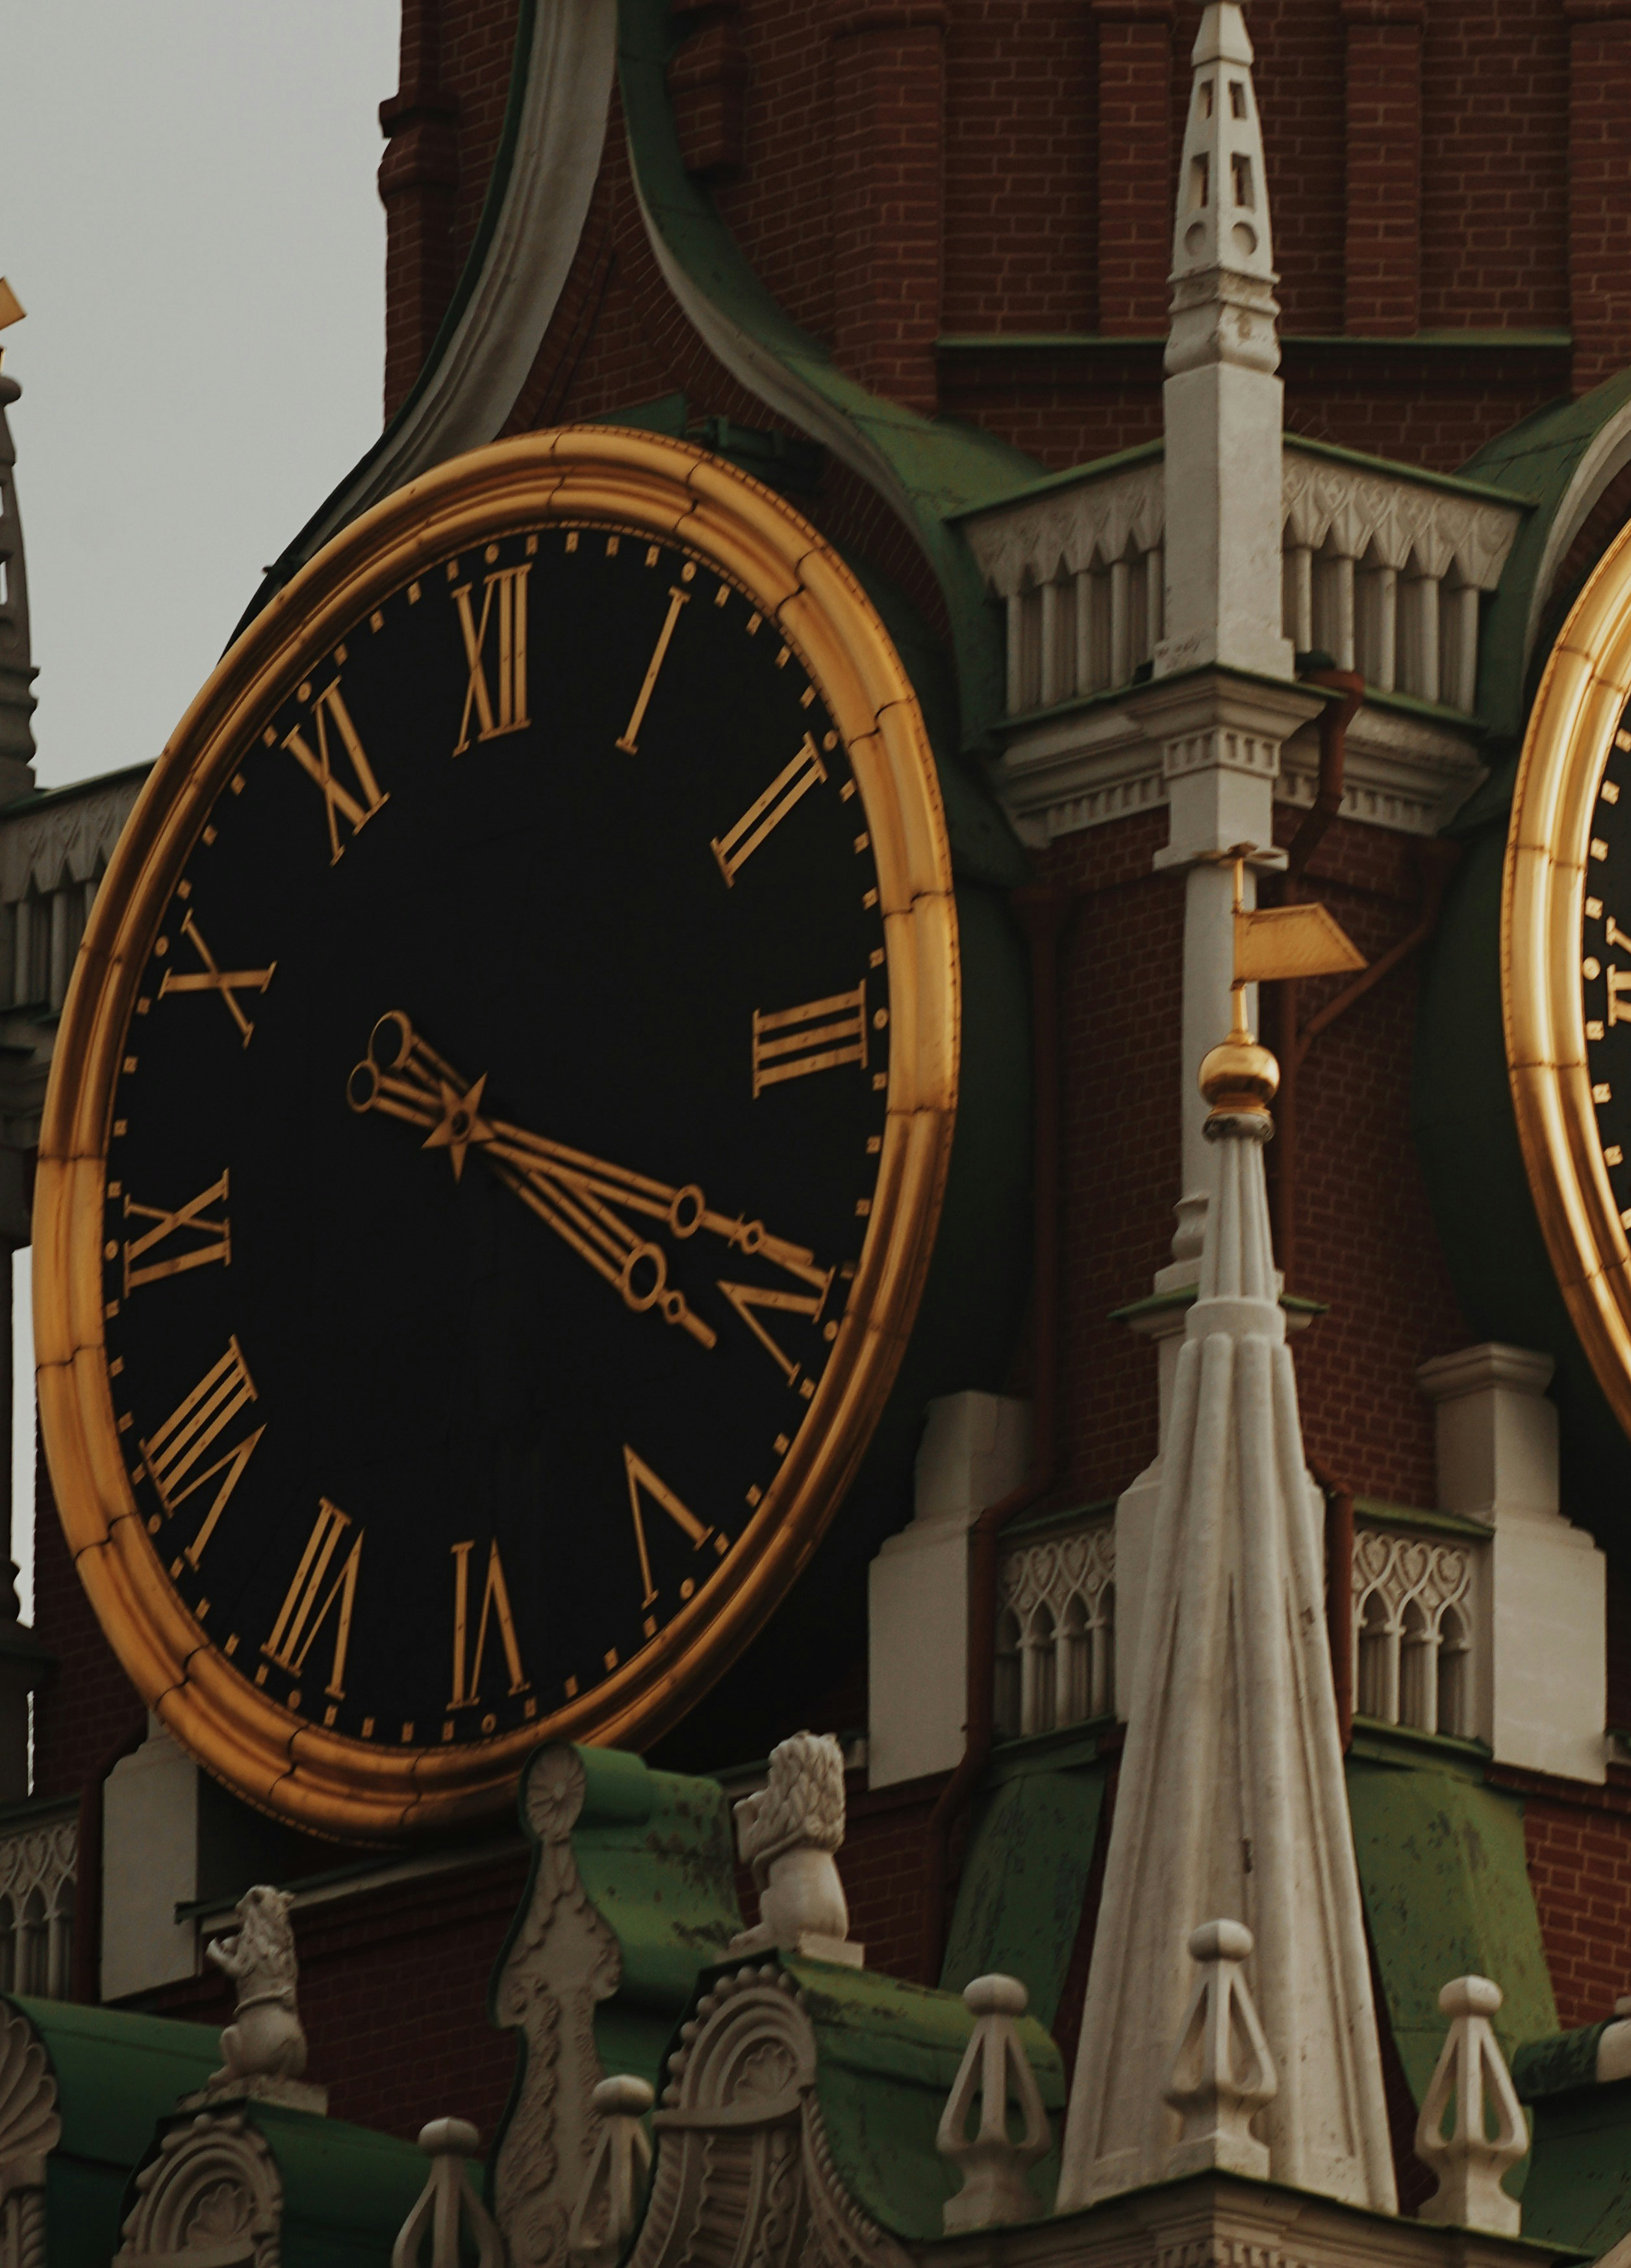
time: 4:19
